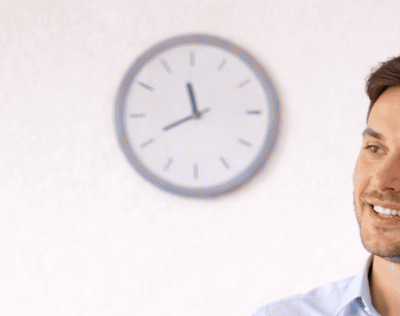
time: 11:41
